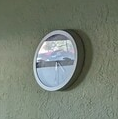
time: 2:45
